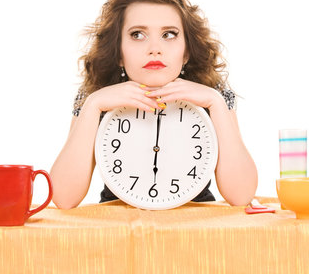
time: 5:59
